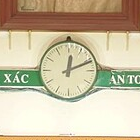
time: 12:11
